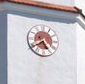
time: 4:39
